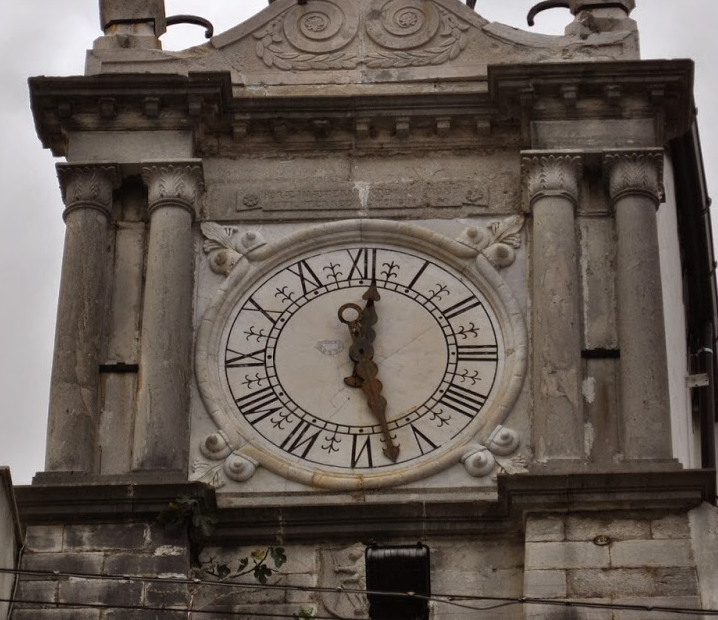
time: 12:27
